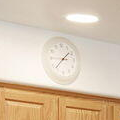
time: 1:37
